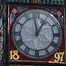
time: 12:58
